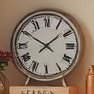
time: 1:50
